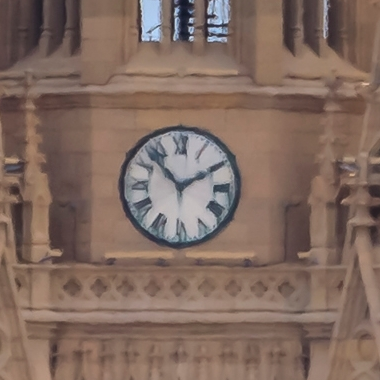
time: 1:52
